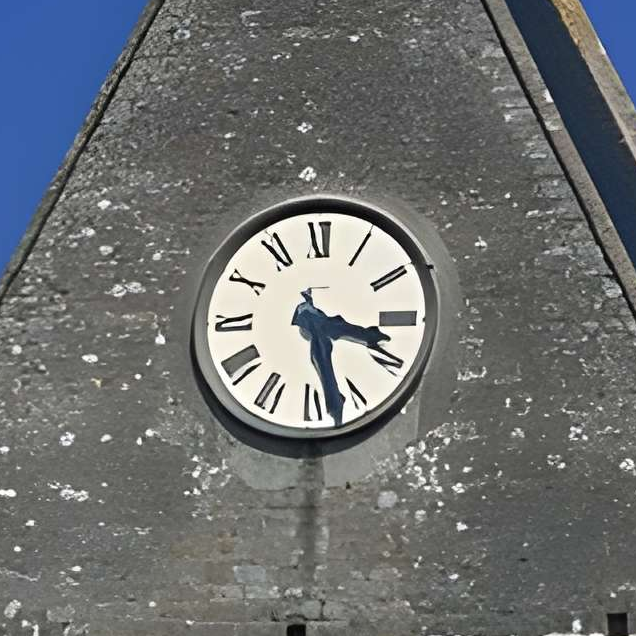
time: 3:27
